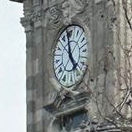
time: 4:59
